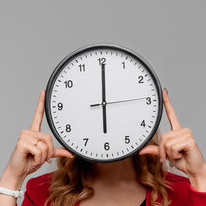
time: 6:00
